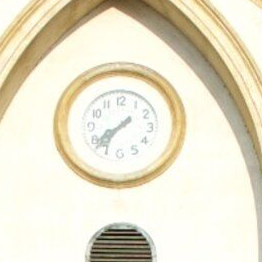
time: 7:37
